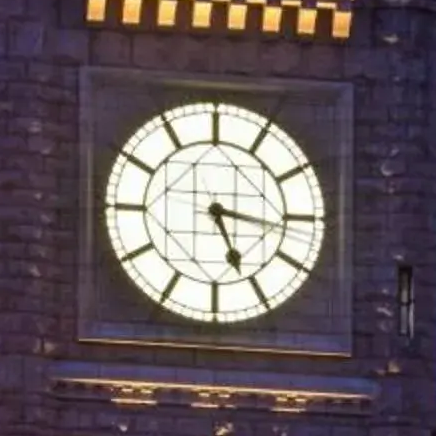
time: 5:16
